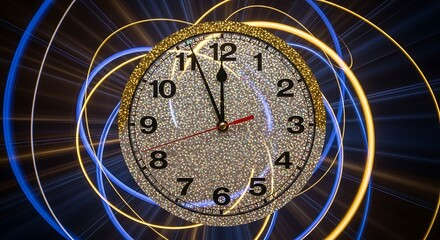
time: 11:55
